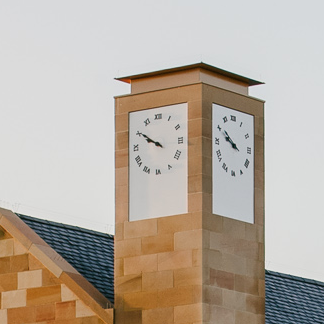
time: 9:50
